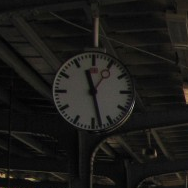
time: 11:28
